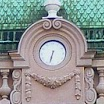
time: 6:32
